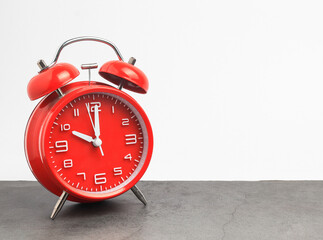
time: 10:00
